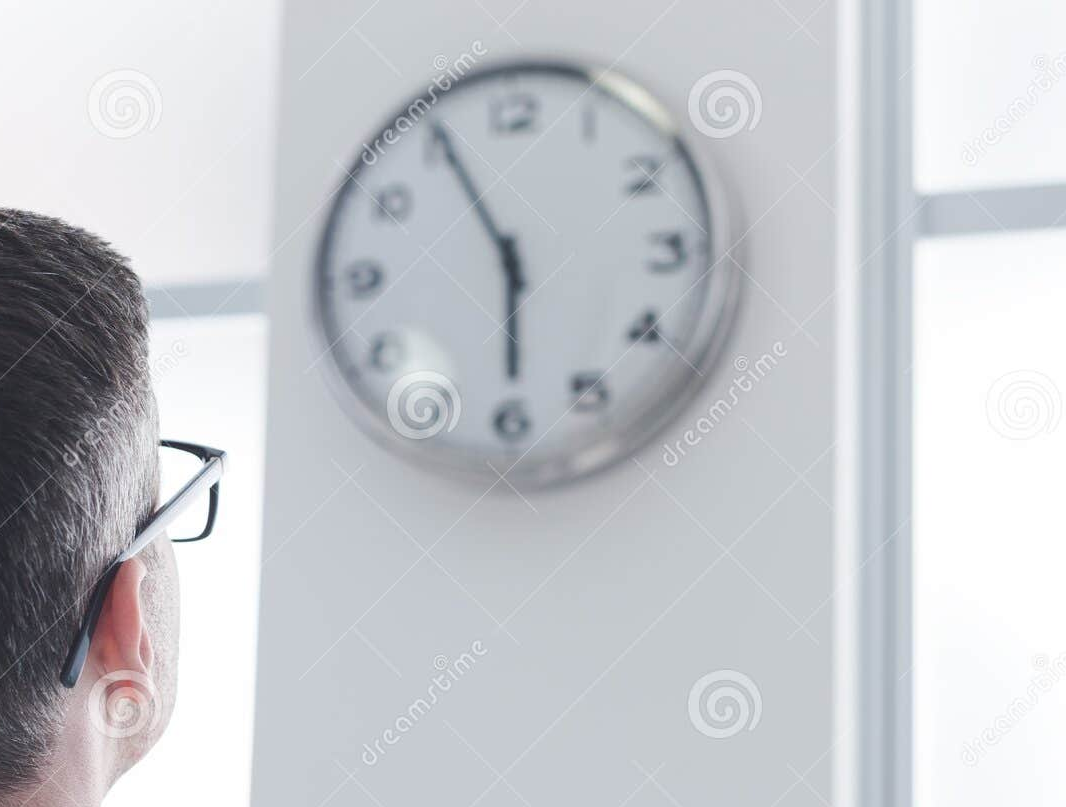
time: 5:55
